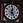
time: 12:24
